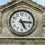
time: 5:15
